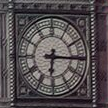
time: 6:15
